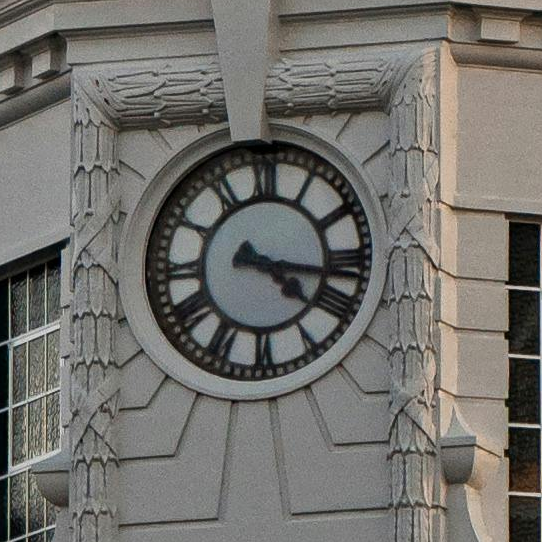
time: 4:16
